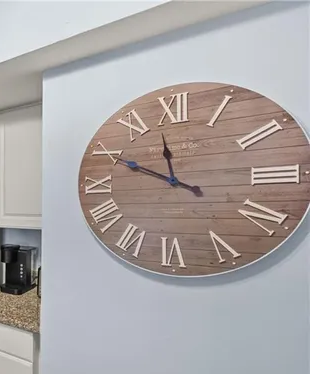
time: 9:57
